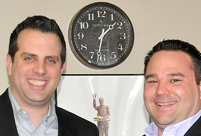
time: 1:32
